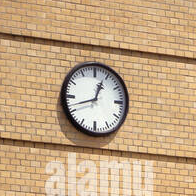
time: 12:42
